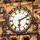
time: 6:11
